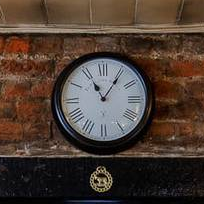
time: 11:05
